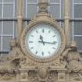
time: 11:16
